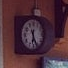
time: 6:25
